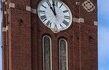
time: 10:59
